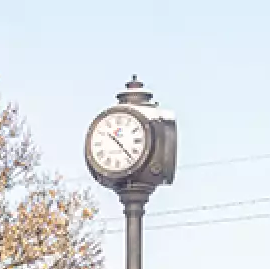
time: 10:22
